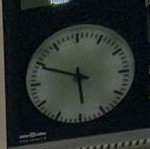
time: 5:49
